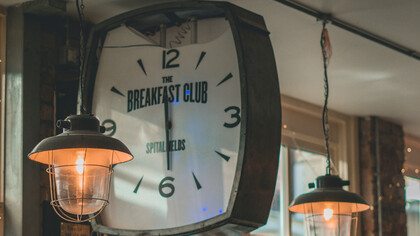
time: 5:59
